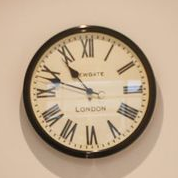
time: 10:48
